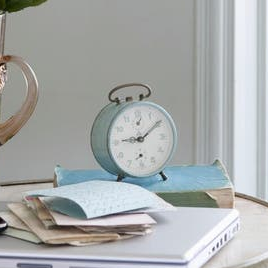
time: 9:08
